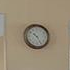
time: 10:24
